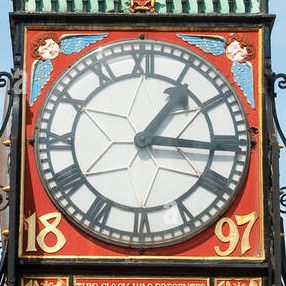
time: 1:15
